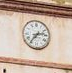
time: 2:36
